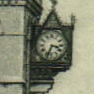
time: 3:33
